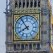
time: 7:53
